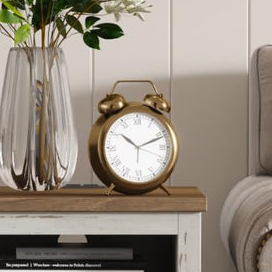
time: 10:11
